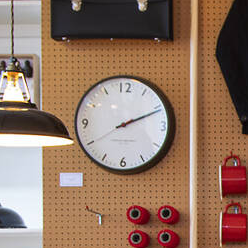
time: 2:11
